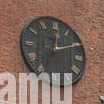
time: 12:10
